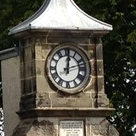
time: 12:12
